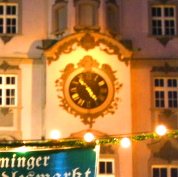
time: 4:52
